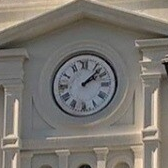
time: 2:07
